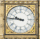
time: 9:45
